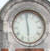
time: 5:59
